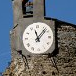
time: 11:07
